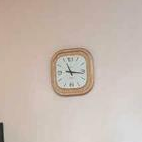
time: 11:16
